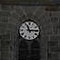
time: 11:14
